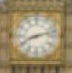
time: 8:12
